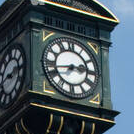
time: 2:42
